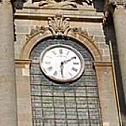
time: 6:10
